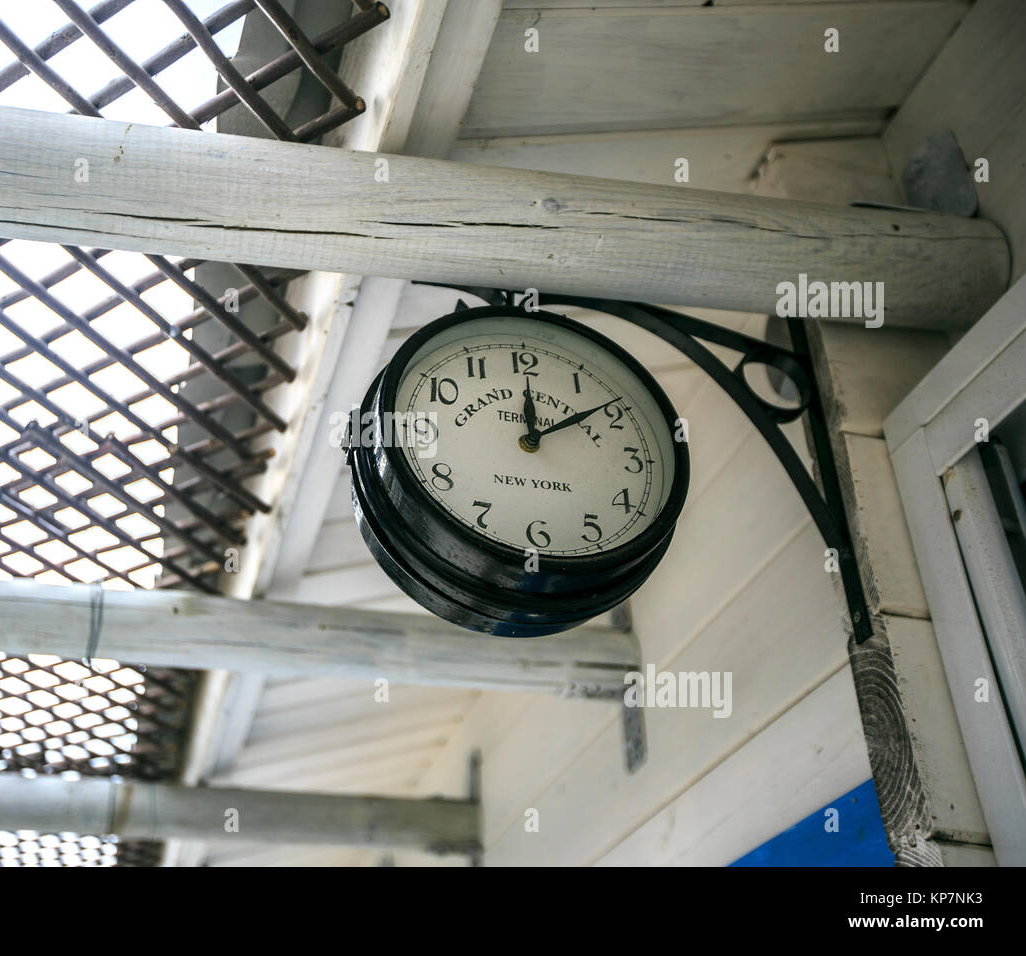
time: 12:09
